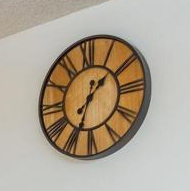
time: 1:33
